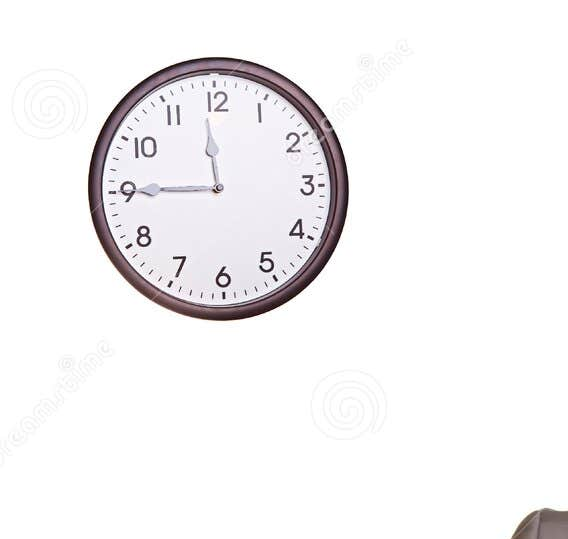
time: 11:45
